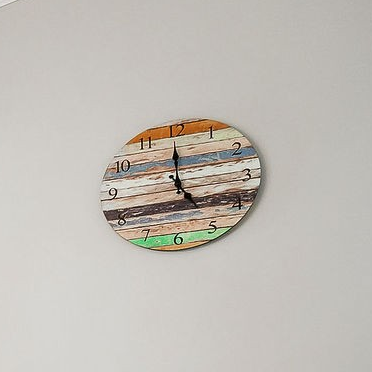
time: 4:59
